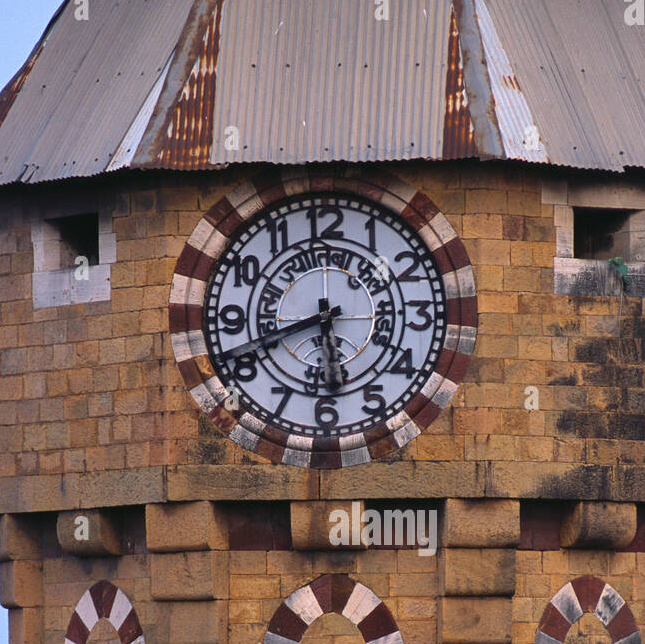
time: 5:41
